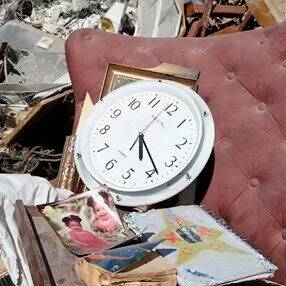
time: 5:23
